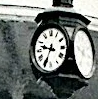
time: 9:34
